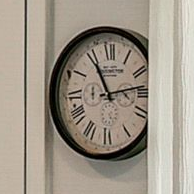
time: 11:13
